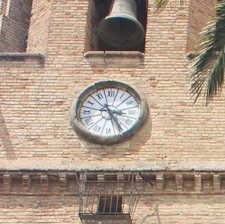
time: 3:24
